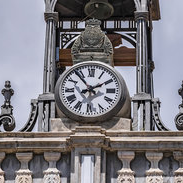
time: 1:53
